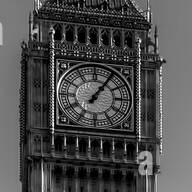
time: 1:05
